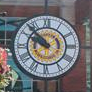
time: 9:53
